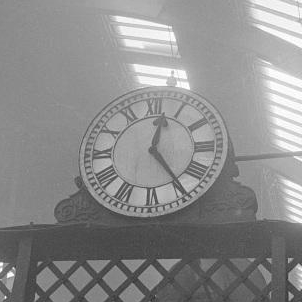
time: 12:24
